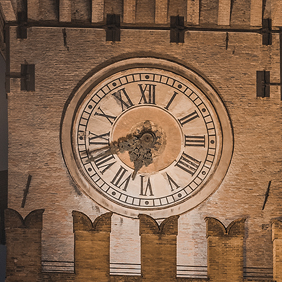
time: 6:42
